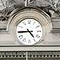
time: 4:44
